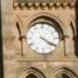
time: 4:20
